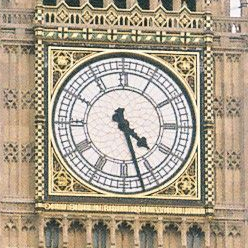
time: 4:27
